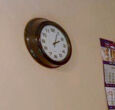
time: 2:04
